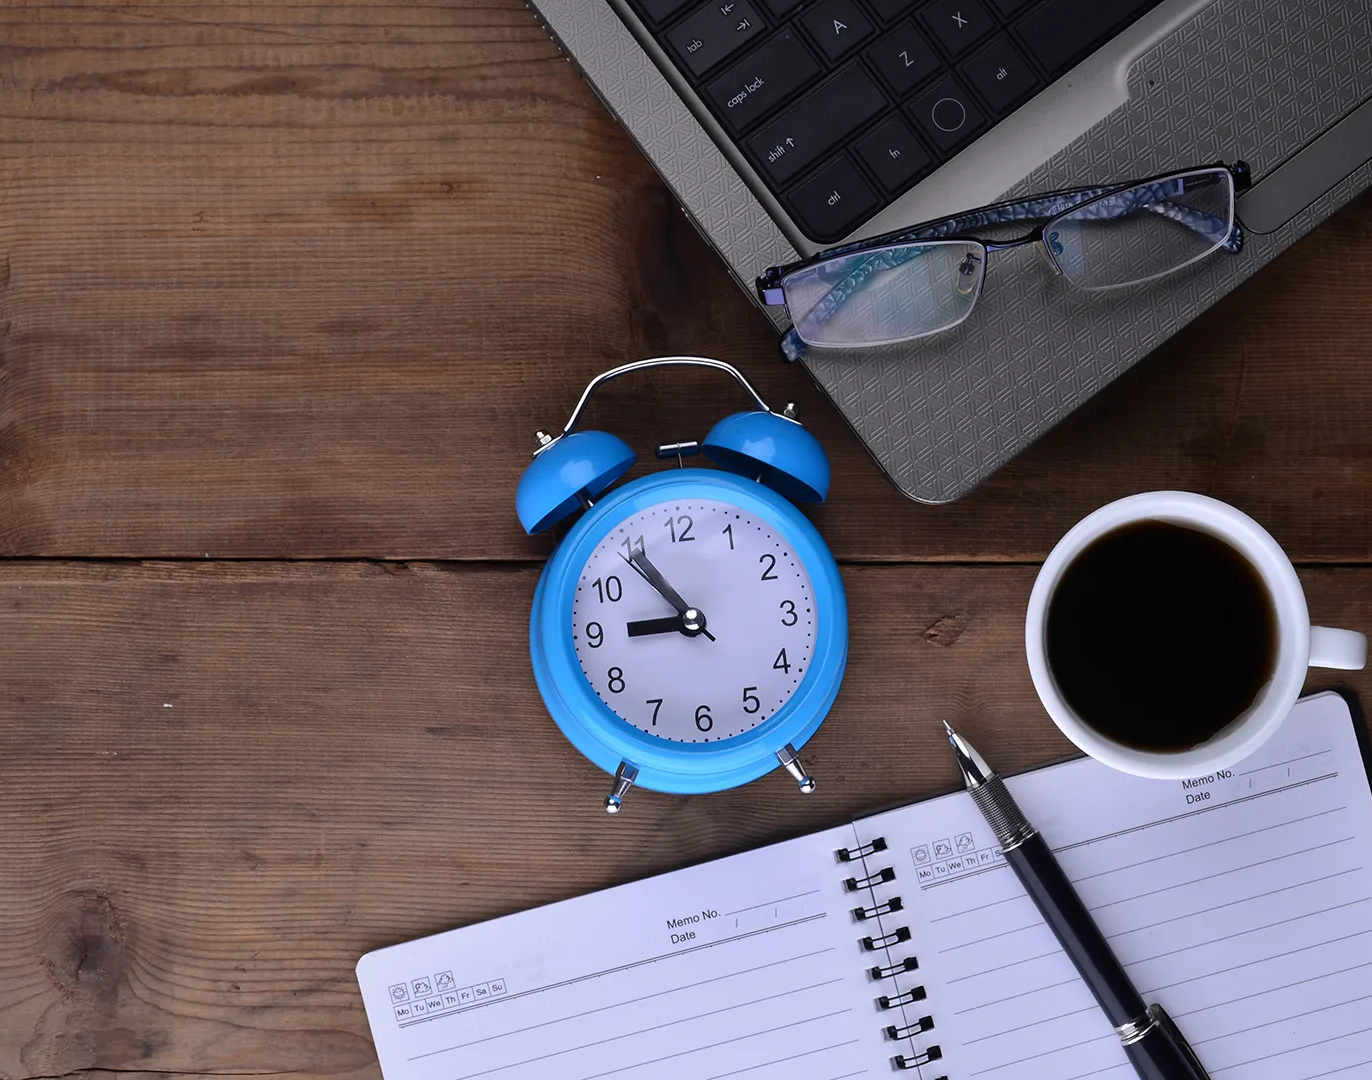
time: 8:54
